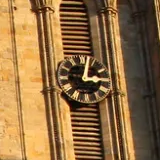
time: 3:02
